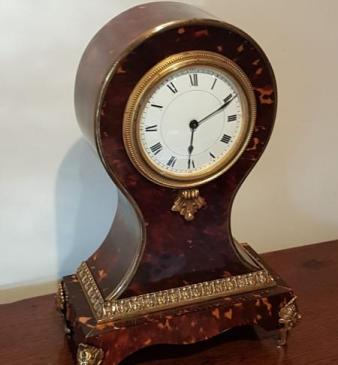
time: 6:10
